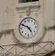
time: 4:49
